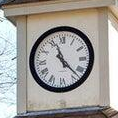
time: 11:22
